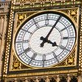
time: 4:04
